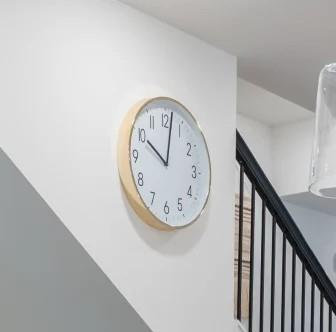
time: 10:01
